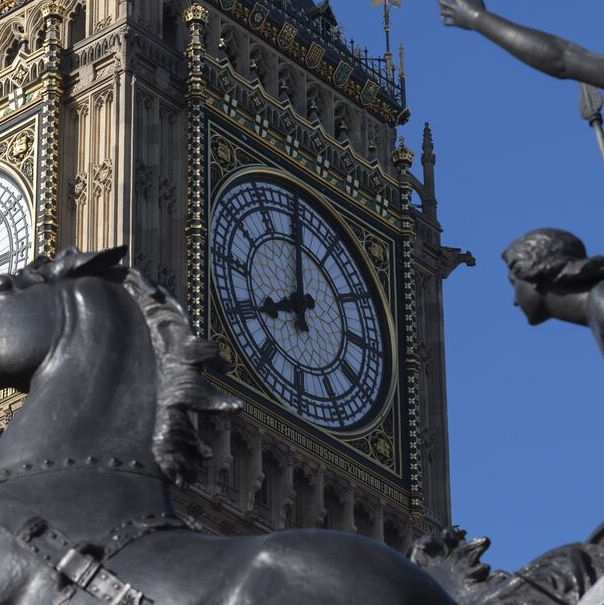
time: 8:00
